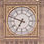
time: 6:48
